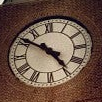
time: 4:50
